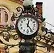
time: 12:23
